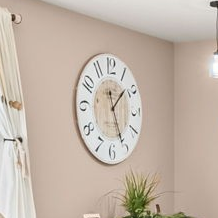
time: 1:26
